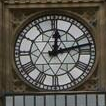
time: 12:12
